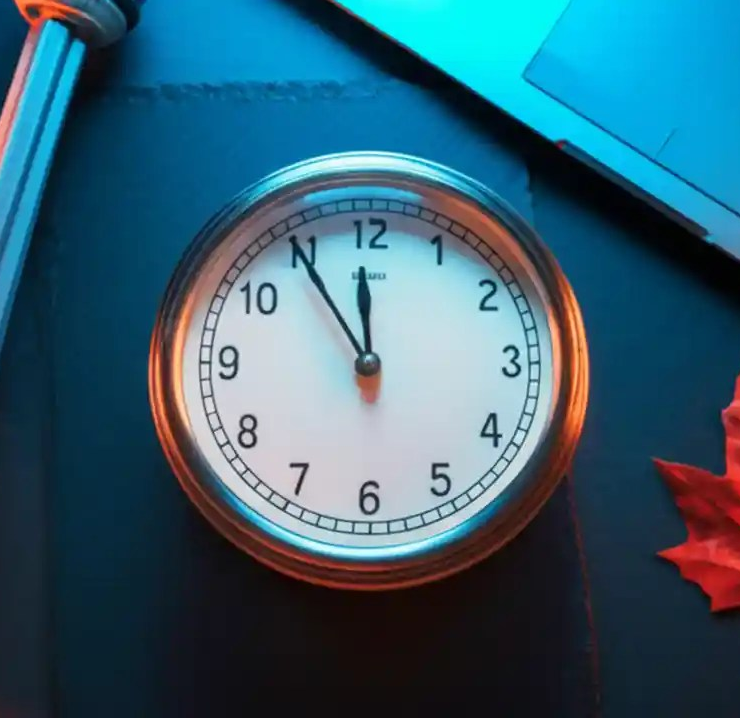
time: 11:54
